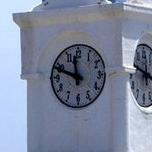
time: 11:48
